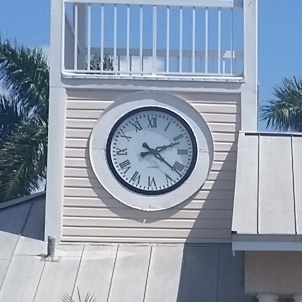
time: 2:21
